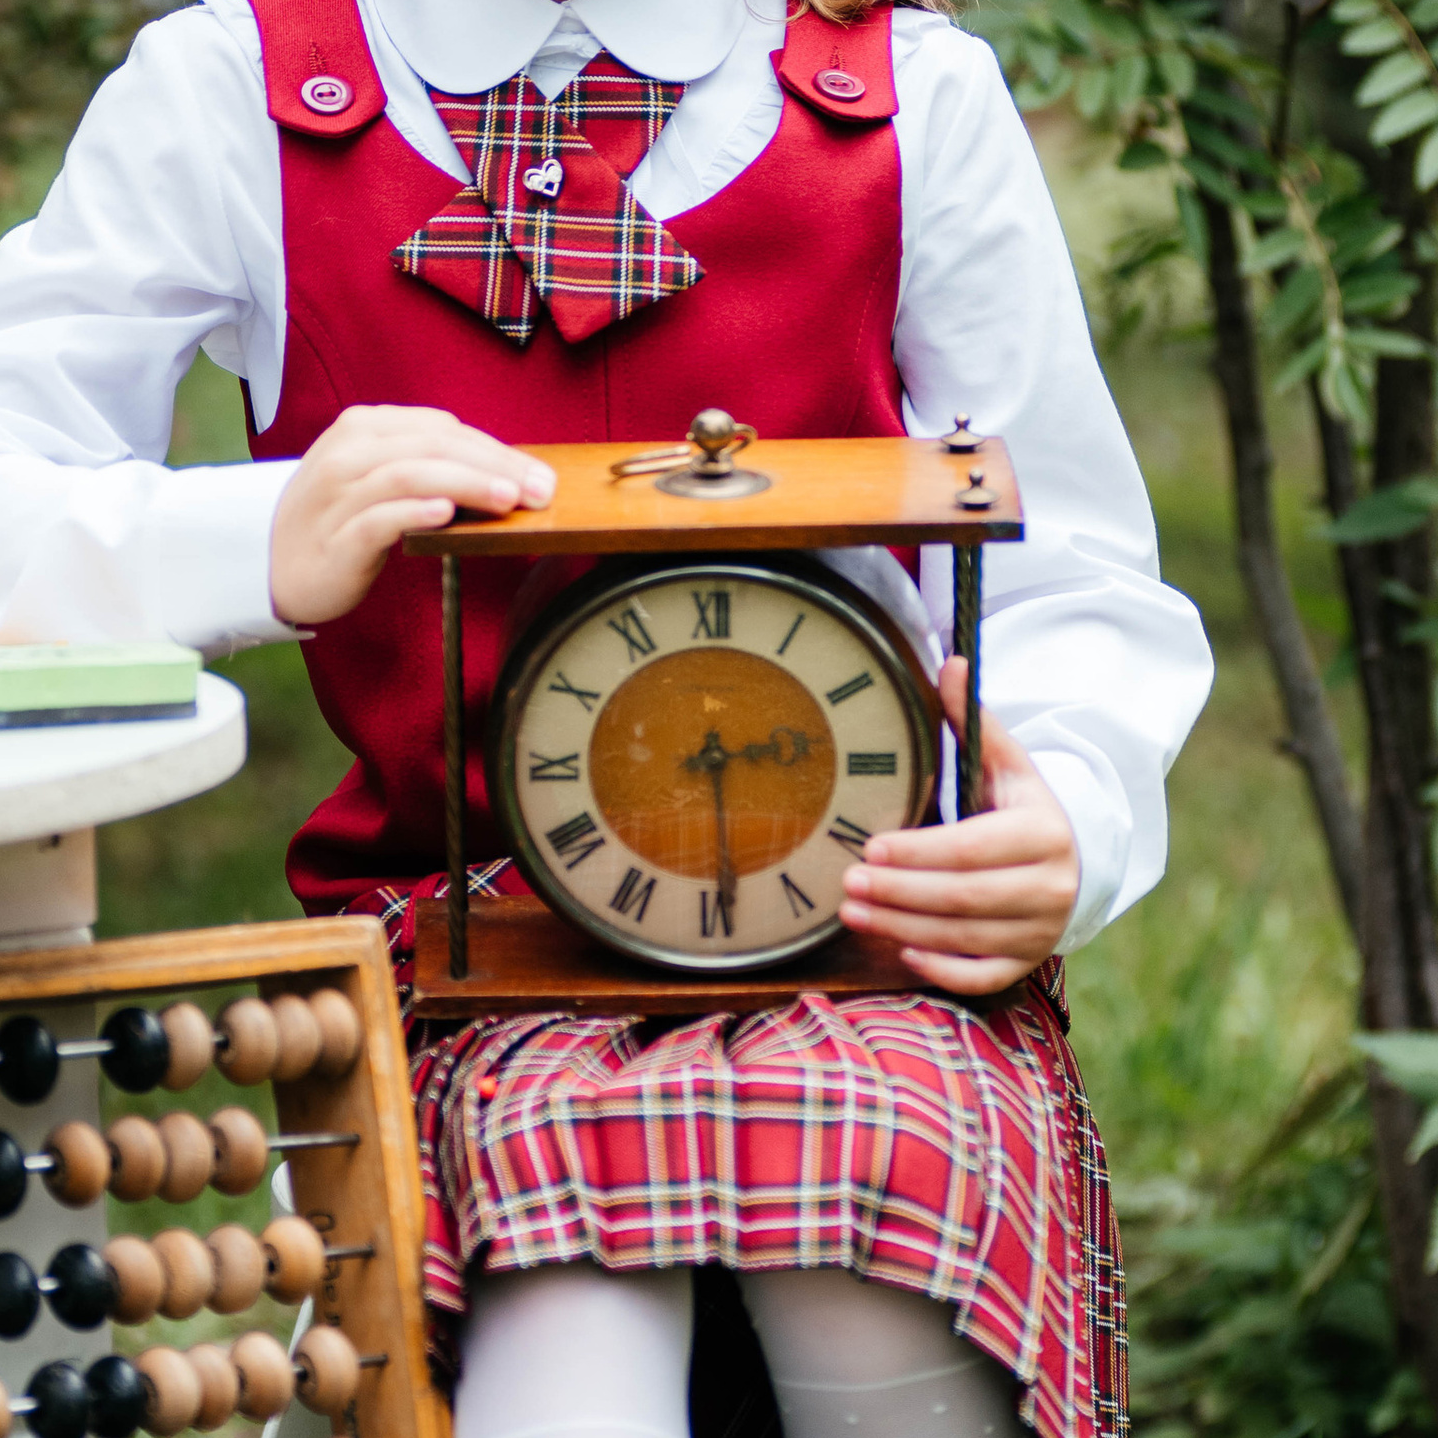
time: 2:29
